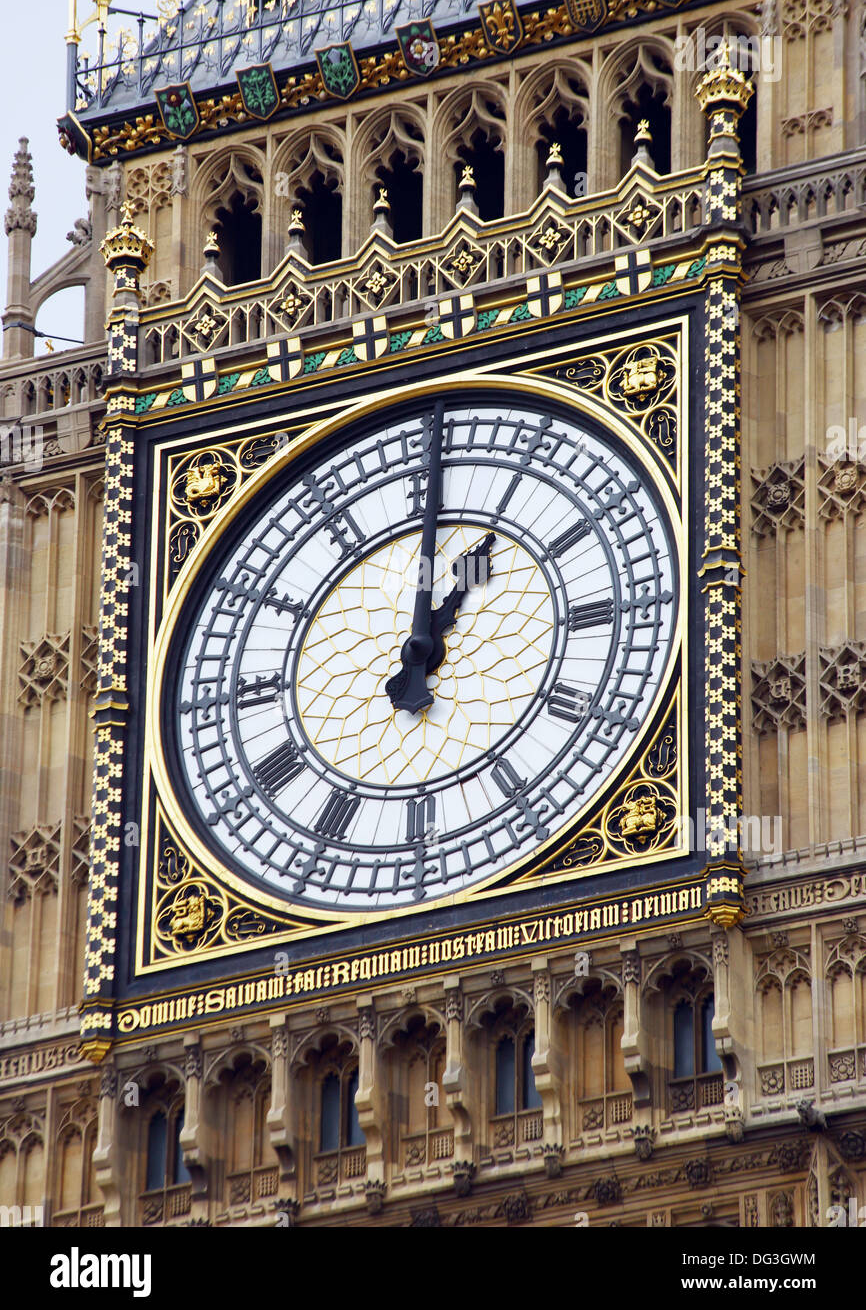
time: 1:01
